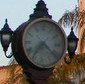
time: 7:22
